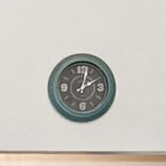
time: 2:02
